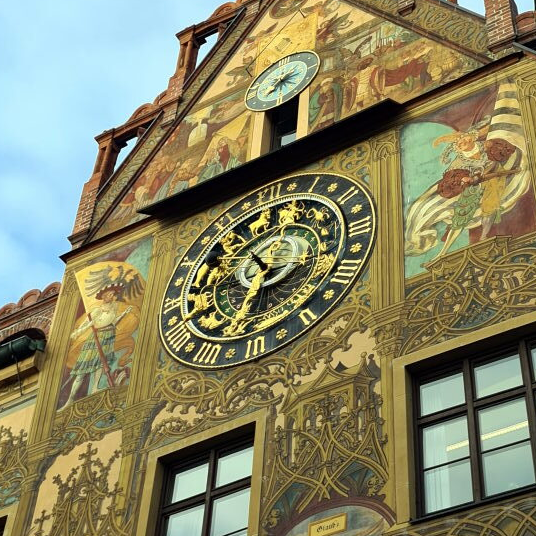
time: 10:32
